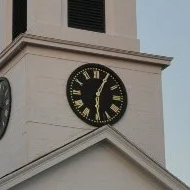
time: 6:04
